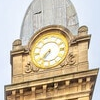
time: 7:36
